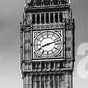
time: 8:12
